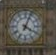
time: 4:03
